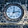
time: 12:12
